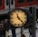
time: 11:22
